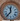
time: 11:36
